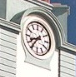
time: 8:36
